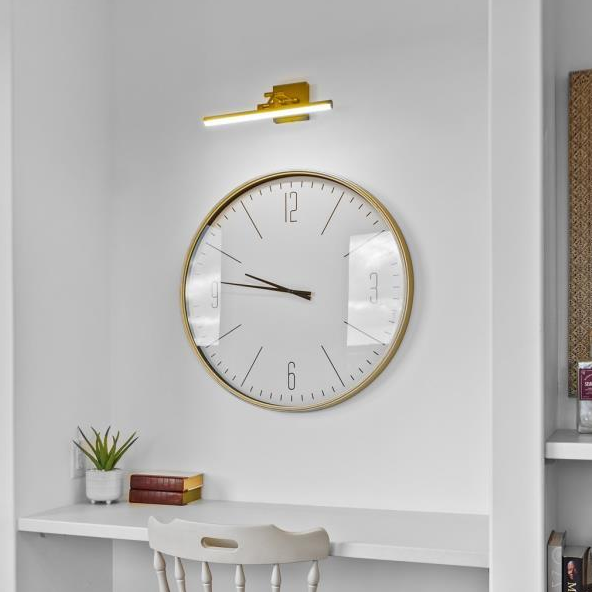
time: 9:45
